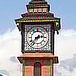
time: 2:37
